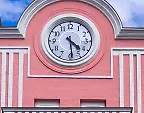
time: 4:29
